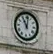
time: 11:01
